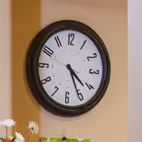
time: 4:25
